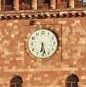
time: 6:27
